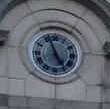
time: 4:56
